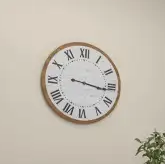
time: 3:16
